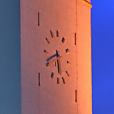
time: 5:40
